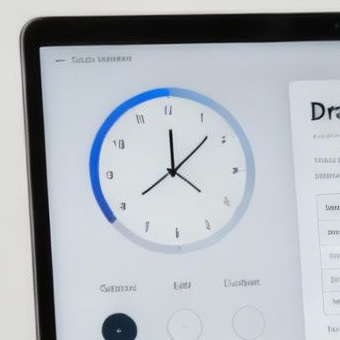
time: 12:07
